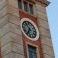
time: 6:54
